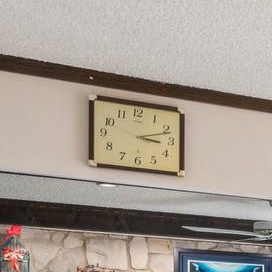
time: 3:11
